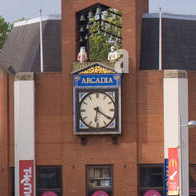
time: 6:20
